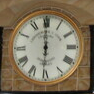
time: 5:59
